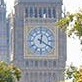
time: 12:20
